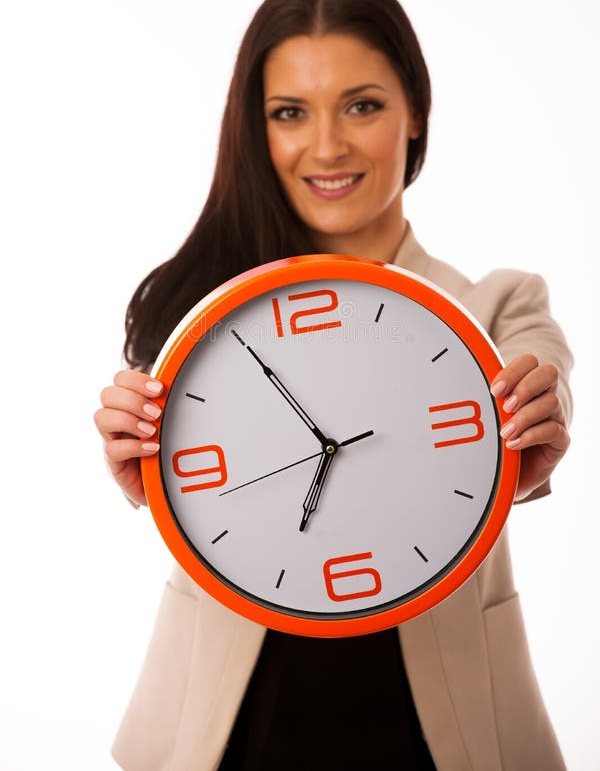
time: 6:55
